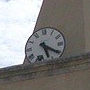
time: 5:20
